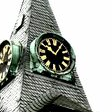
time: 10:05
